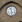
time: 11:28
